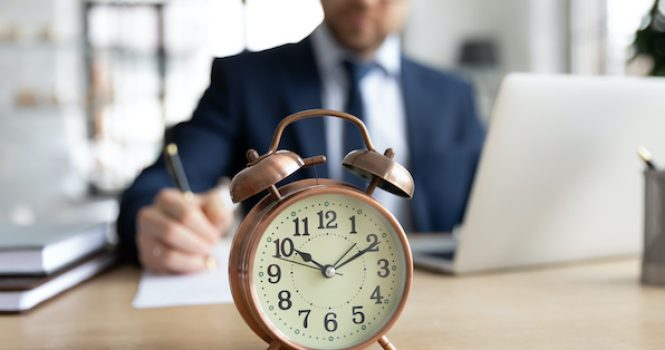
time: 10:10
